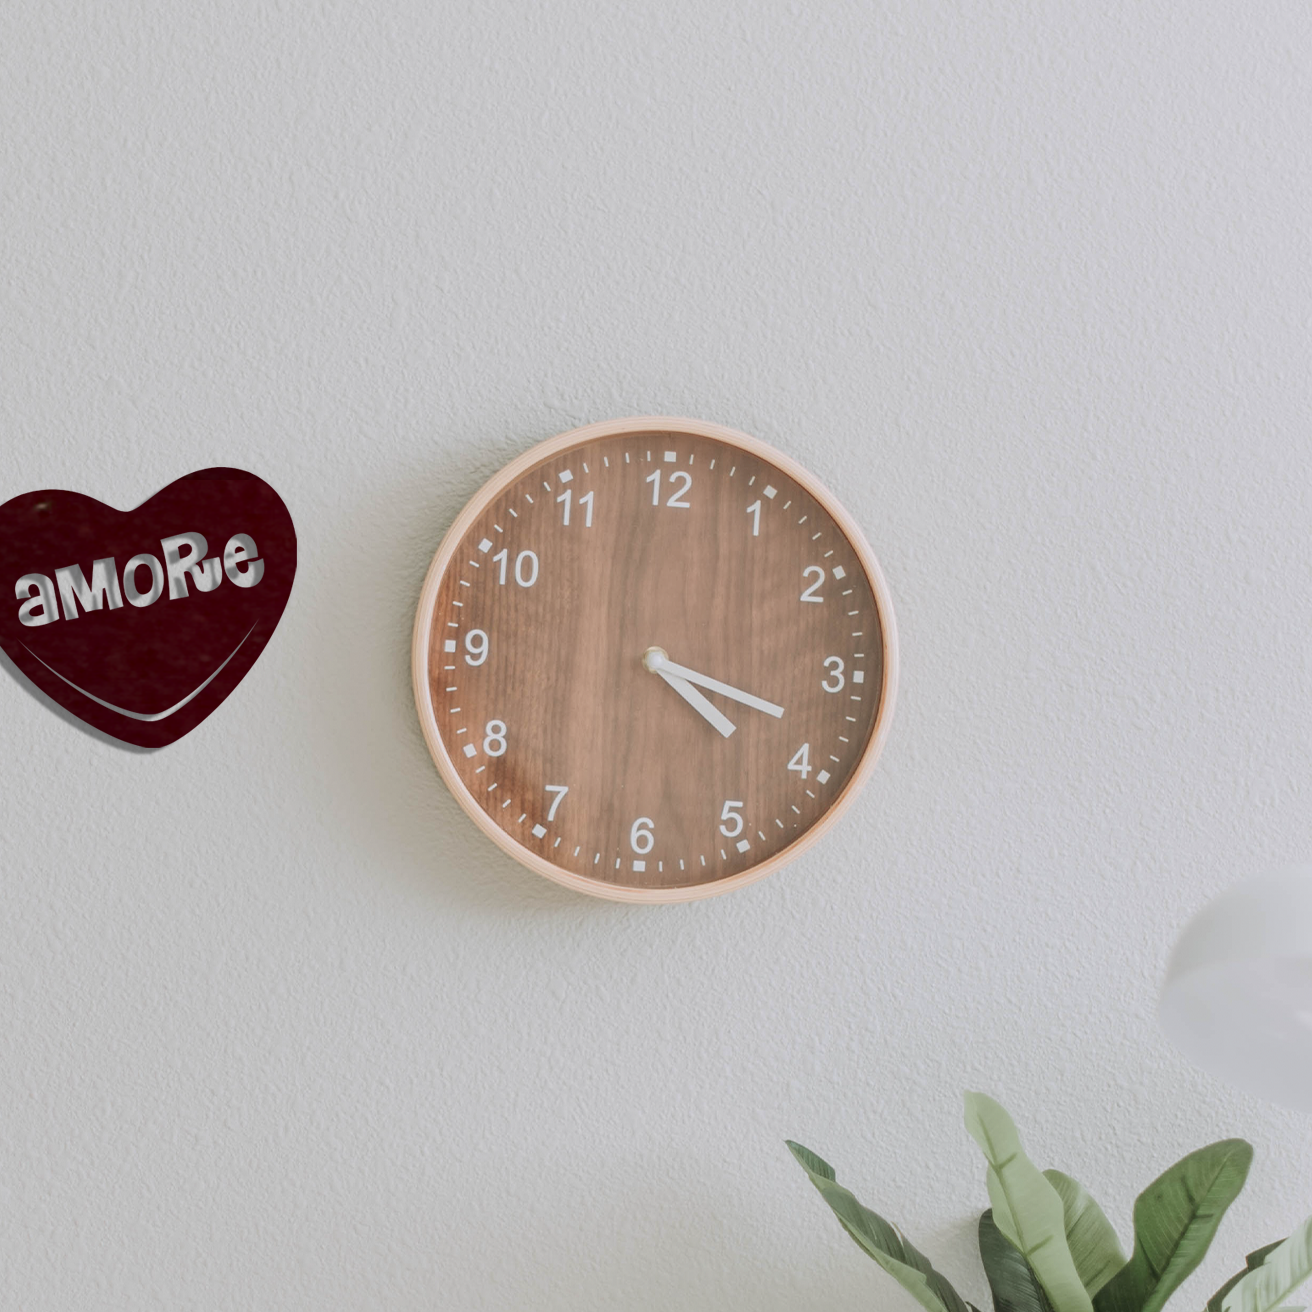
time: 4:18
